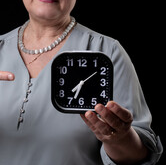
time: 7:33
